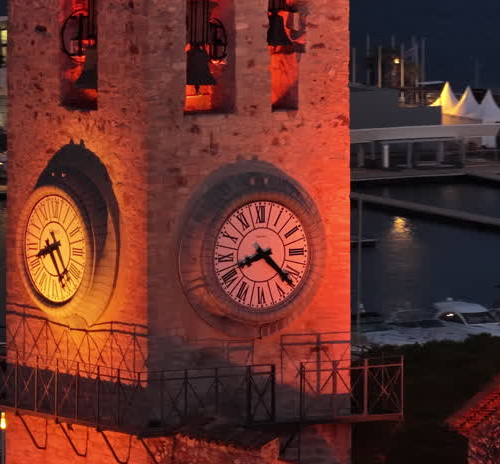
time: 8:22
